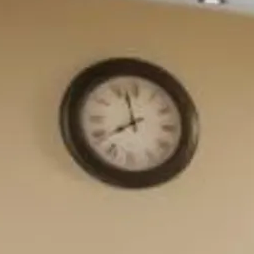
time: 7:57
